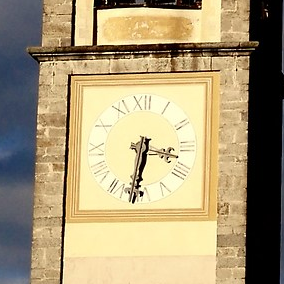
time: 3:32
